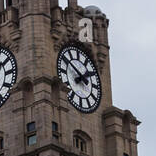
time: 1:50
